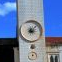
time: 3:07
